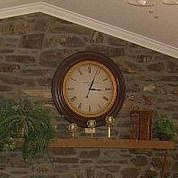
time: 3:03
